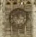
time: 11:37
